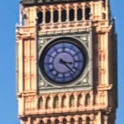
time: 3:22
